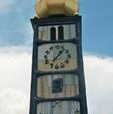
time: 1:06
